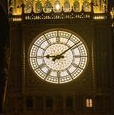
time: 9:08
